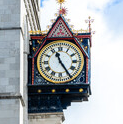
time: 11:24
